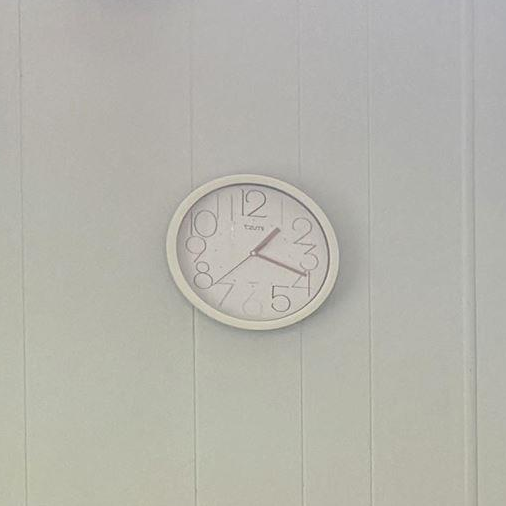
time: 1:18
